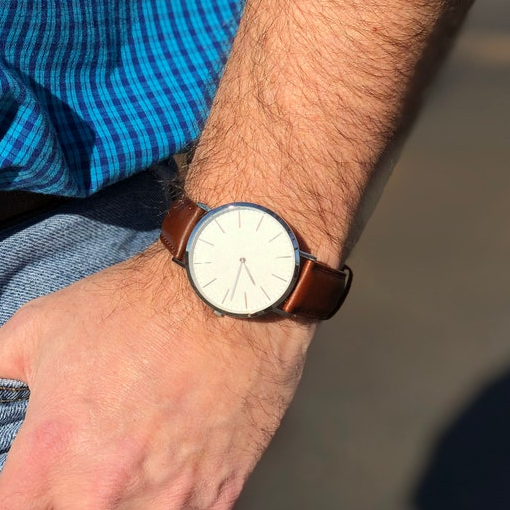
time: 5:33
